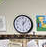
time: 6:06
